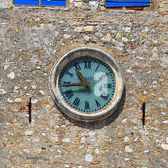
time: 10:43
